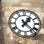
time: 1:22
